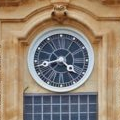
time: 4:42
